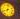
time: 8:02
